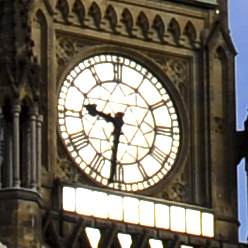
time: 9:31
